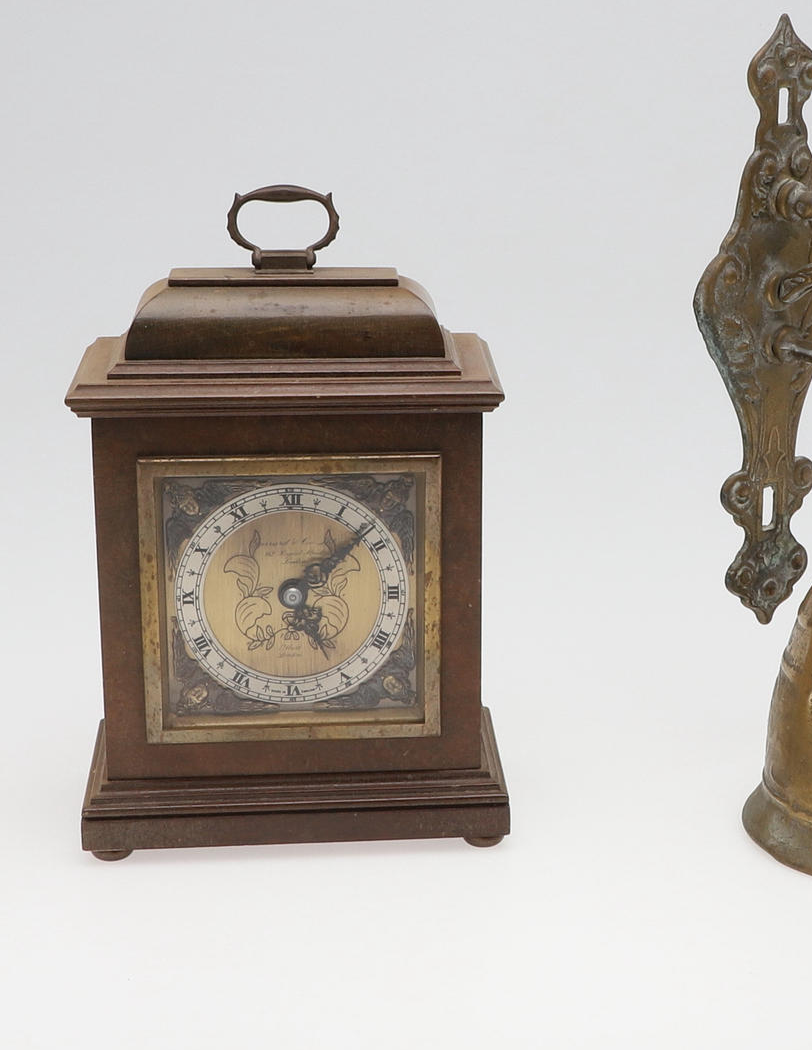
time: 5:08
